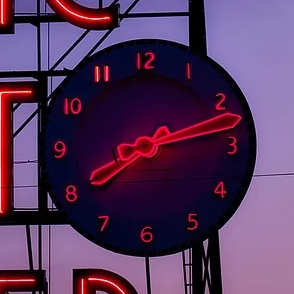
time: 8:13
